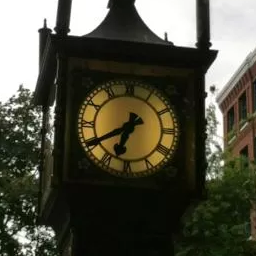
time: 6:40
